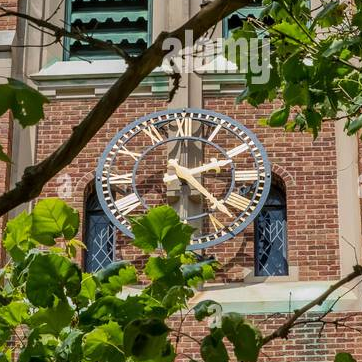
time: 2:21
